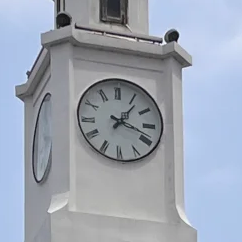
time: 1:18
